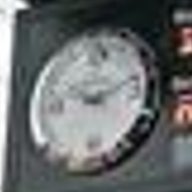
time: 9:12
